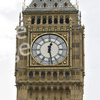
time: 12:28
